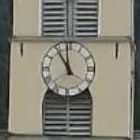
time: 10:58
